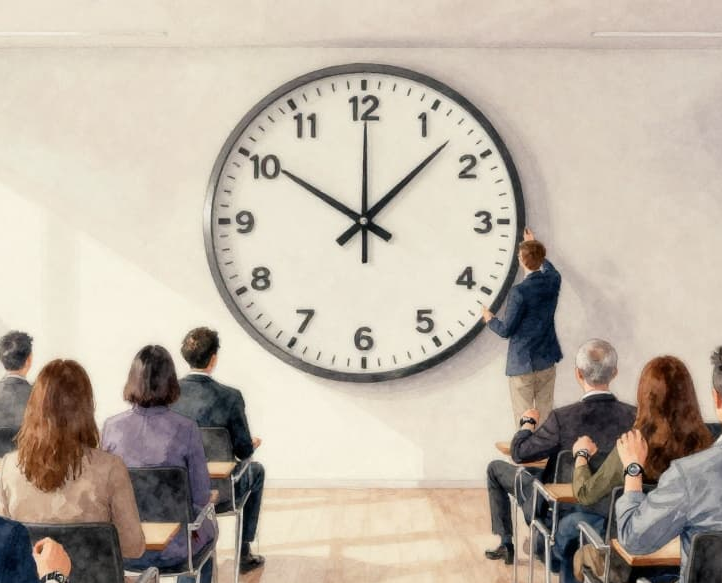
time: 10:07
